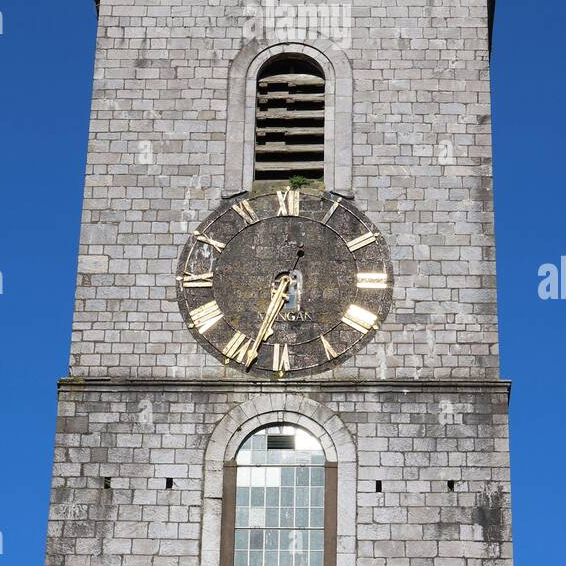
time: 12:33
